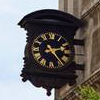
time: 2:23
